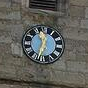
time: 11:33
